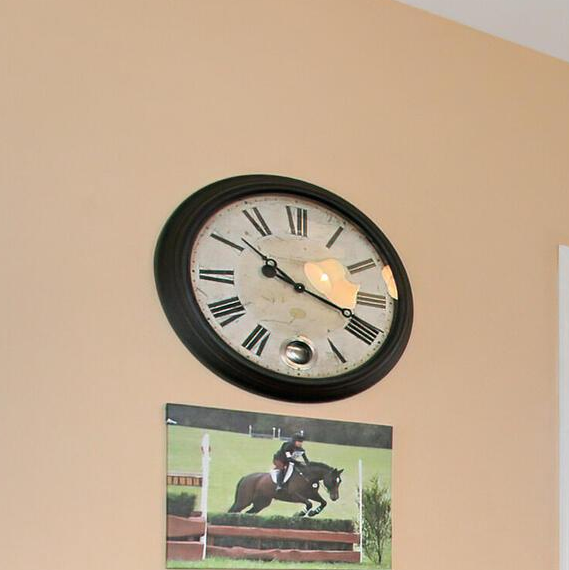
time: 10:18
